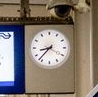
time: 8:37
